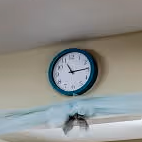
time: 11:14
